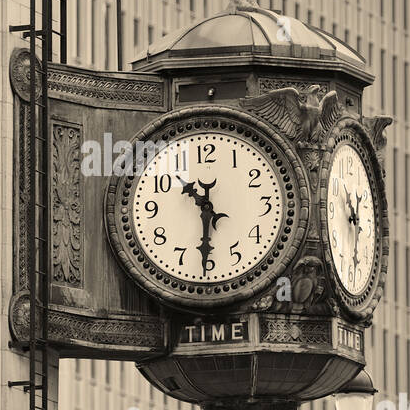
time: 10:30
